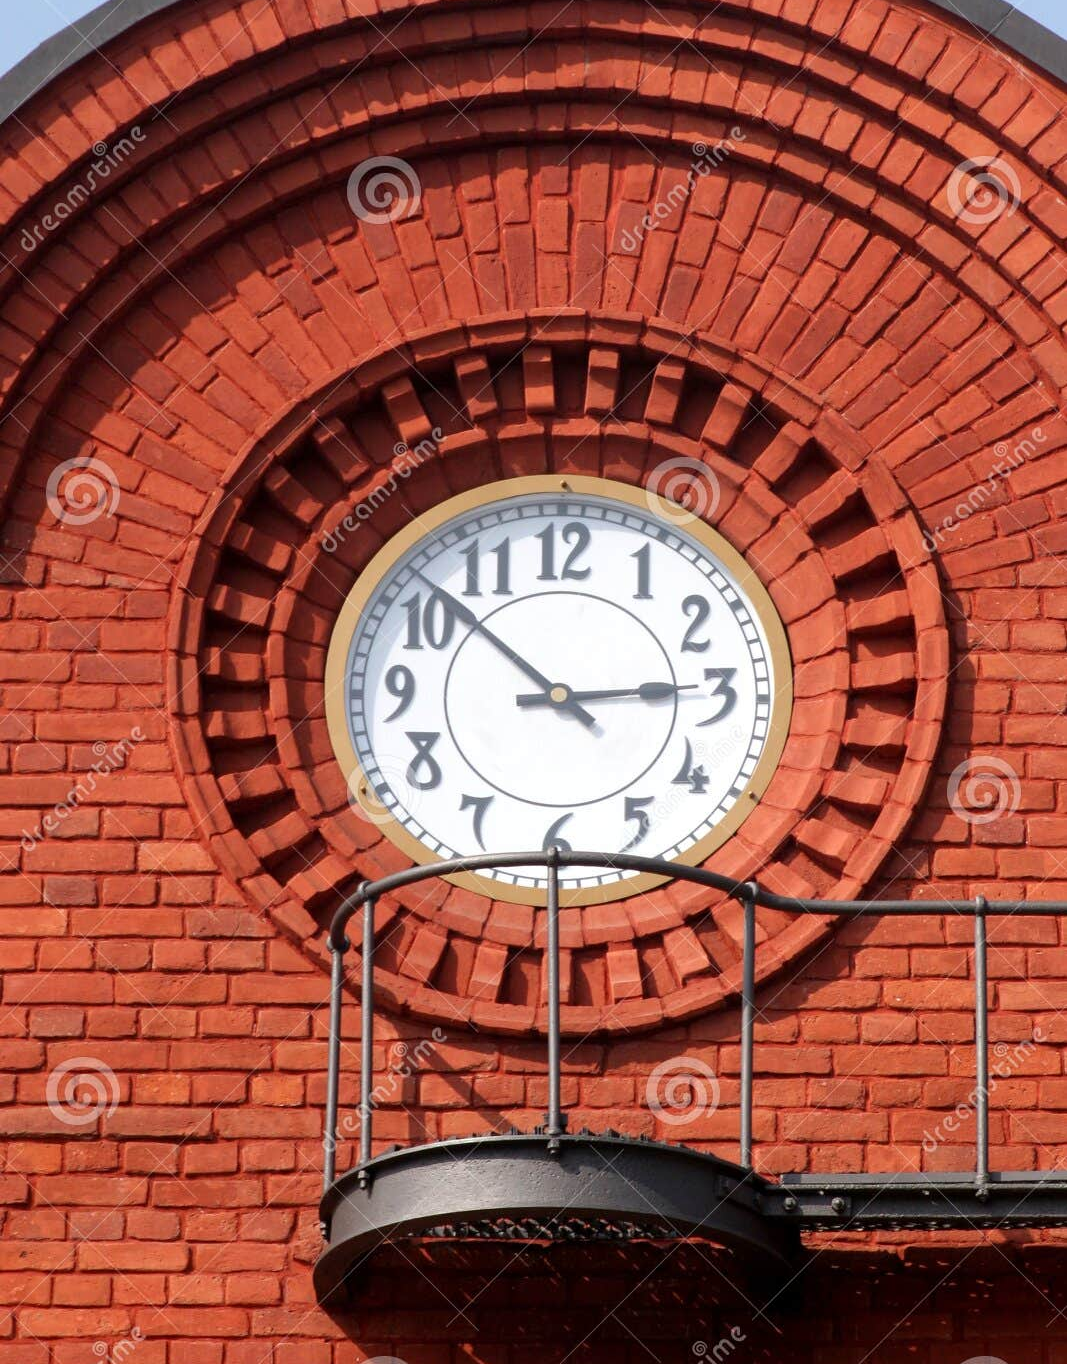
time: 2:52
